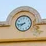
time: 7:43
